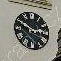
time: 2:49
